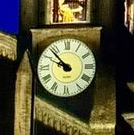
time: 9:53
